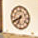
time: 6:40
